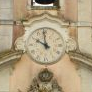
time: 9:58
